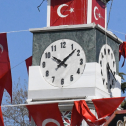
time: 10:07
